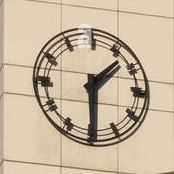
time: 1:29
